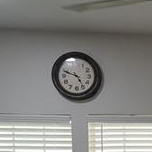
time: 4:48
